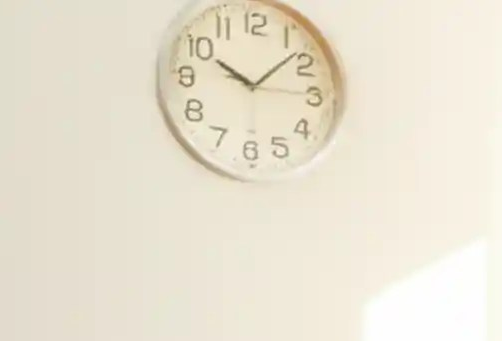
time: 10:07
